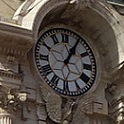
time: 1:05
